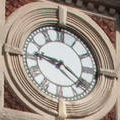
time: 9:20
